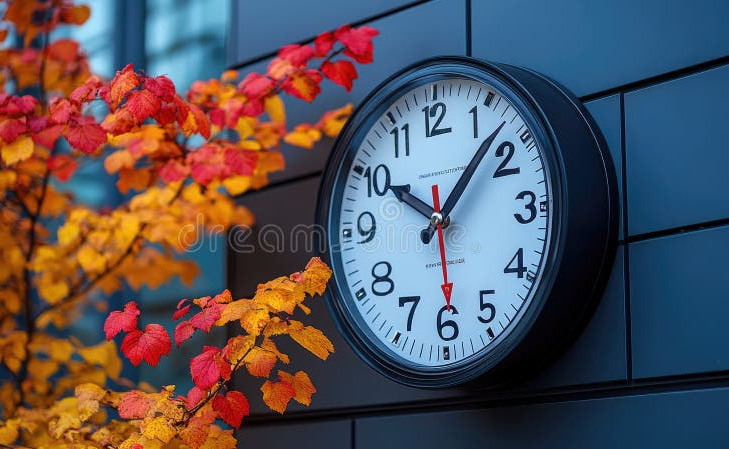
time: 10:07
